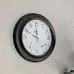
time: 11:49
